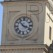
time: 3:52
